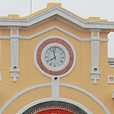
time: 7:58
